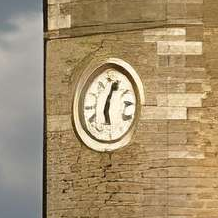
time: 6:03
